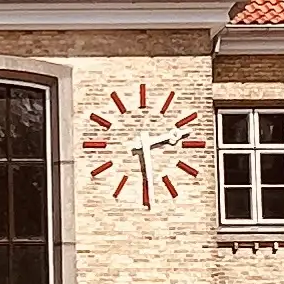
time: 2:29
